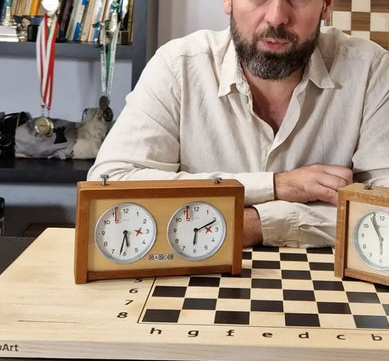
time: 6:10
